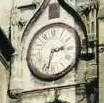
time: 2:32
